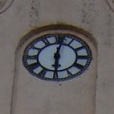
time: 6:01
